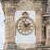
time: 1:56
